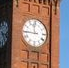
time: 11:44
